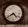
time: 4:38
